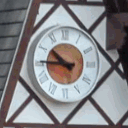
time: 10:45
